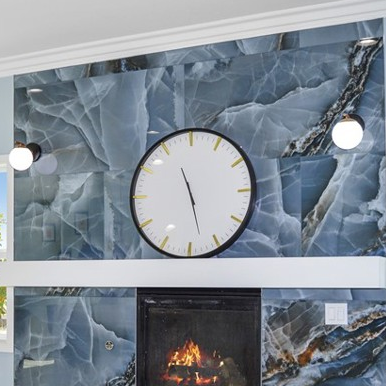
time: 11:27
